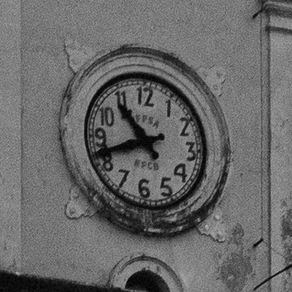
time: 10:41
